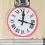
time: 12:17
